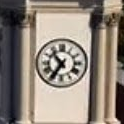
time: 10:35
